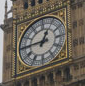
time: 12:45
